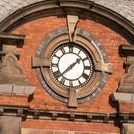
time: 1:37
